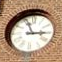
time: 2:56
